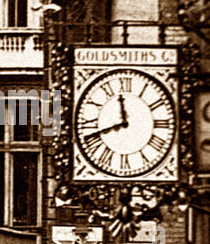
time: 11:41
